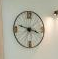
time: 3:47
